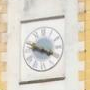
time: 3:48
